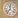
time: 11:36
